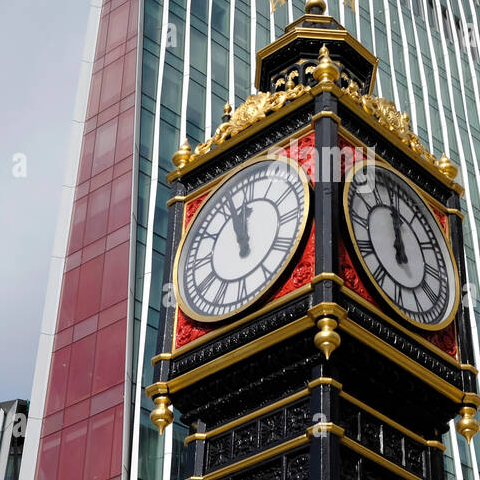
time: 11:56
